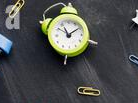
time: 11:09
